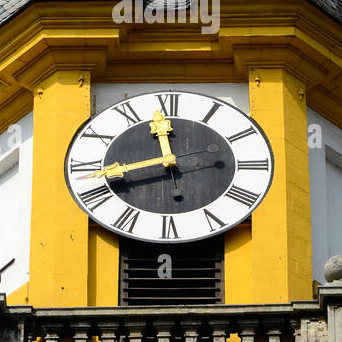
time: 11:42
